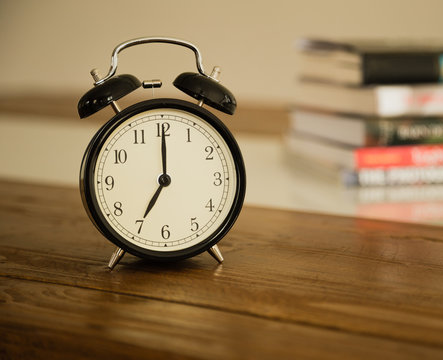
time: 7:00
